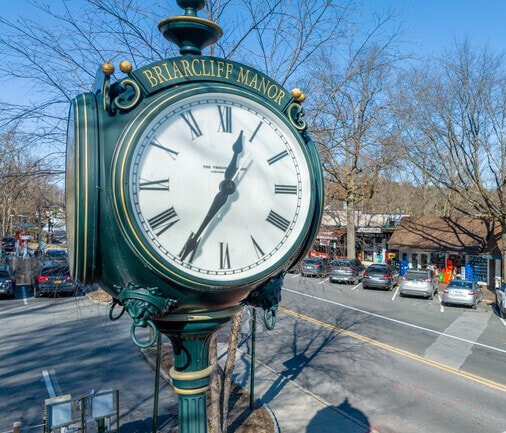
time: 12:35
